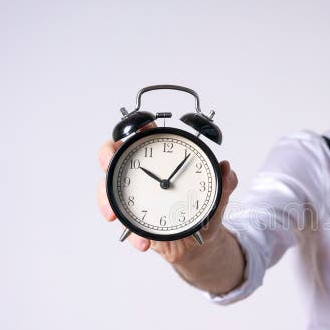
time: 10:06
